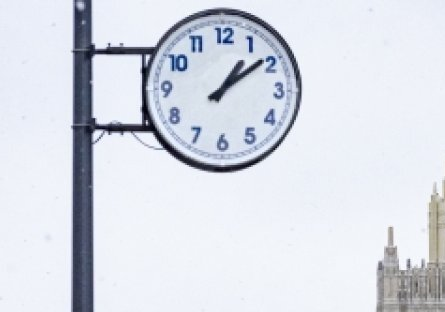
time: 1:08
